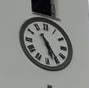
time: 5:24
